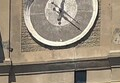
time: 12:21
